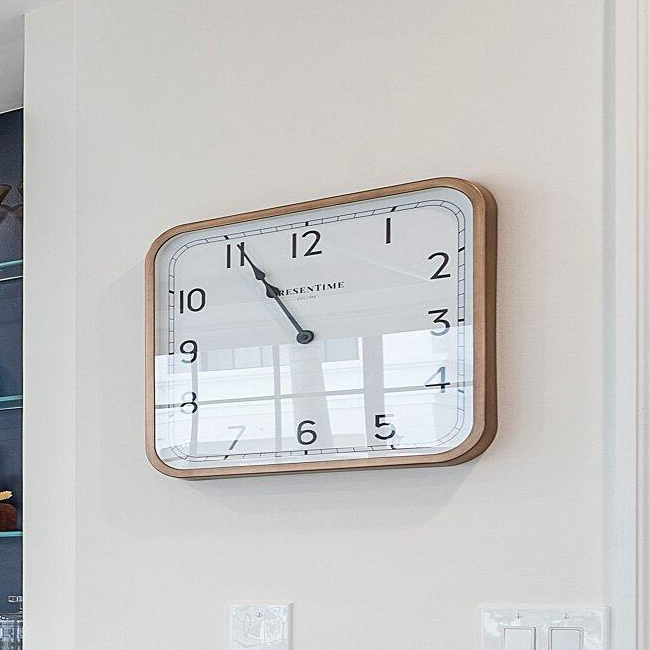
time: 10:55
